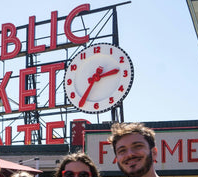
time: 2:35
